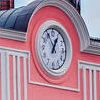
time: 12:55
